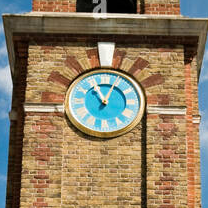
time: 11:04
